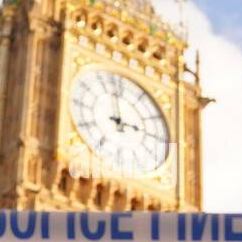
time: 2:58
